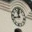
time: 11:42
